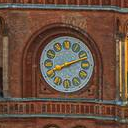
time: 8:11
